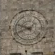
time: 9:41
